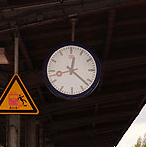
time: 12:21
